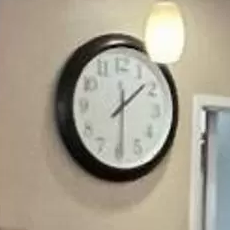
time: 12:08
